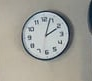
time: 2:03
